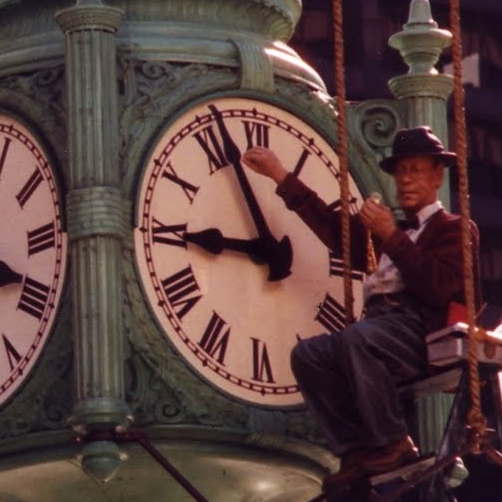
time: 8:56
